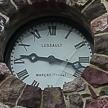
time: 9:17
